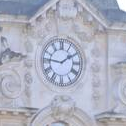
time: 1:46
